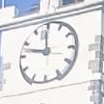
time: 11:47
